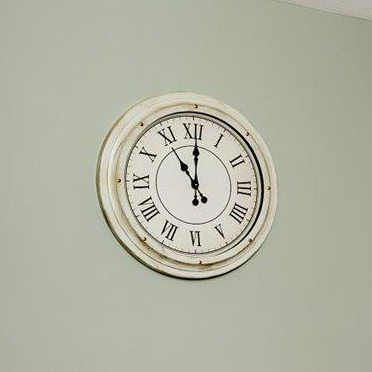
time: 11:00
